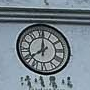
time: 8:00
